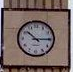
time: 10:14
